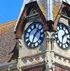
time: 1:33
